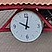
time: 10:02
